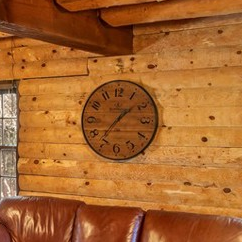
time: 1:36
